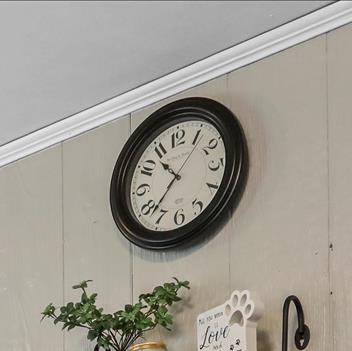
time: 10:37
